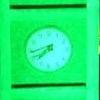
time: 7:42
